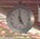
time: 4:59
